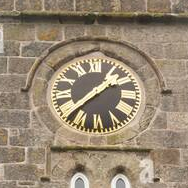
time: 1:37
